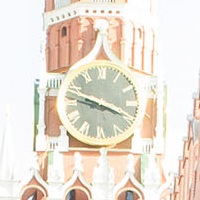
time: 3:48
